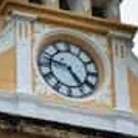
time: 4:47
